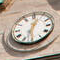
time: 6:03
